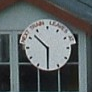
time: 10:30
